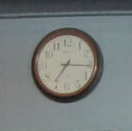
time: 7:15
